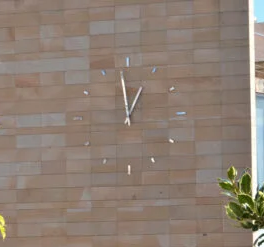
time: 12:58
